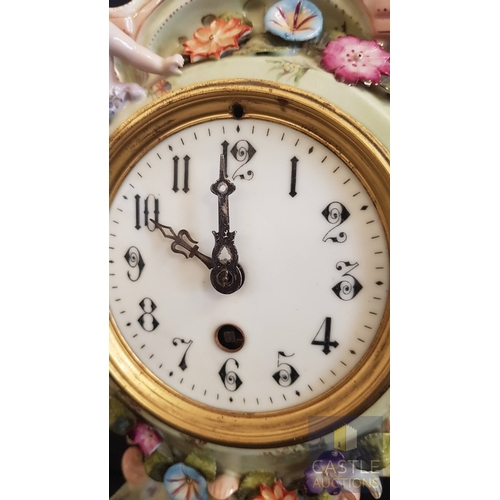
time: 9:59
